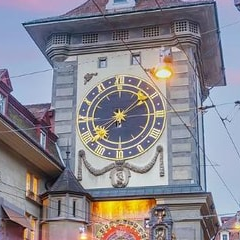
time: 1:37
